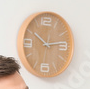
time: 10:13
